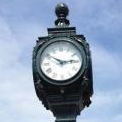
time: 2:50
